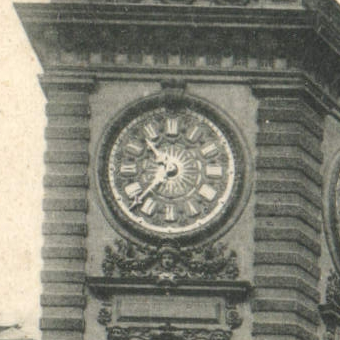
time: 10:37
